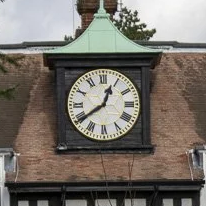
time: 12:39
